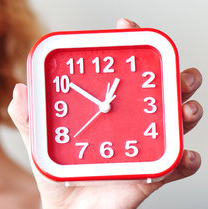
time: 12:50
